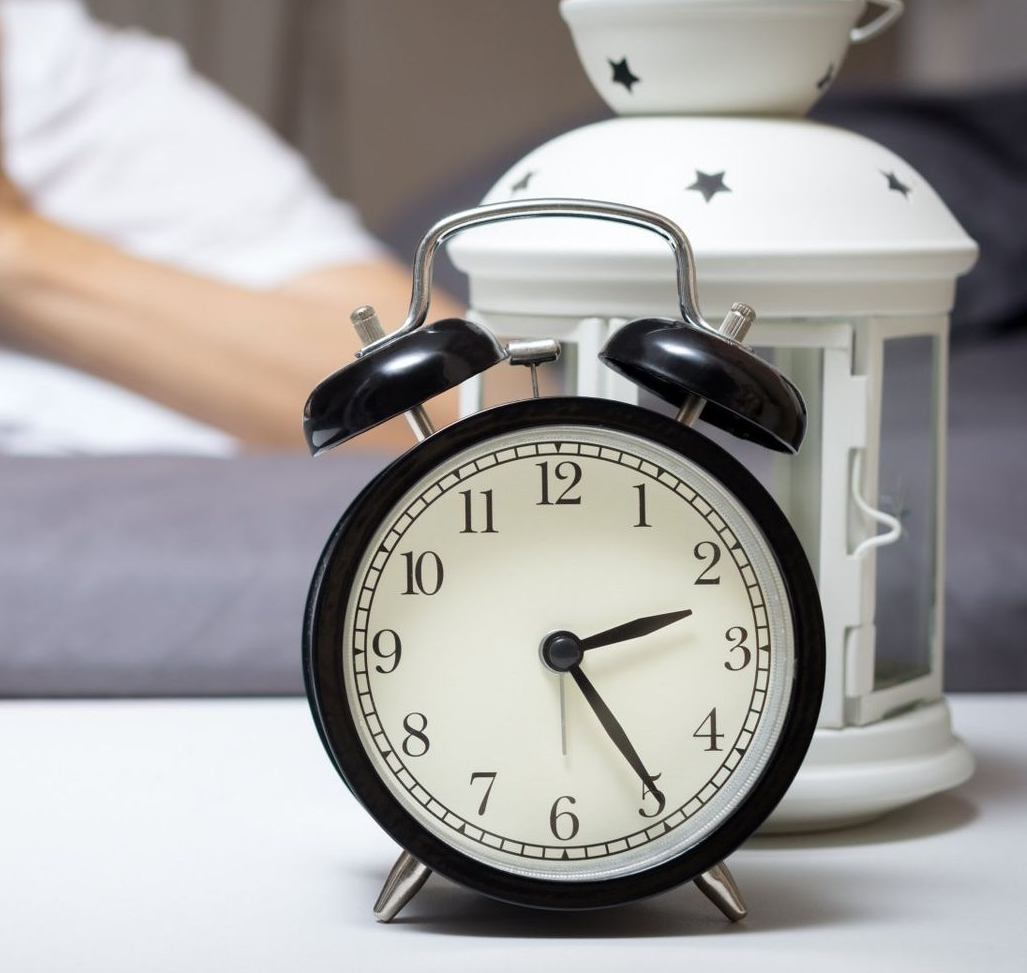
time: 2:24
